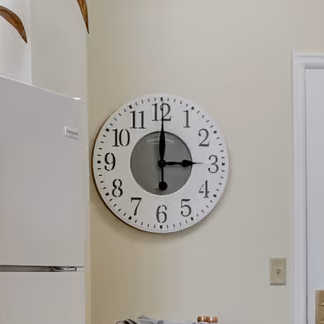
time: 3:00
